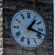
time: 1:18
